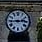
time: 2:44
